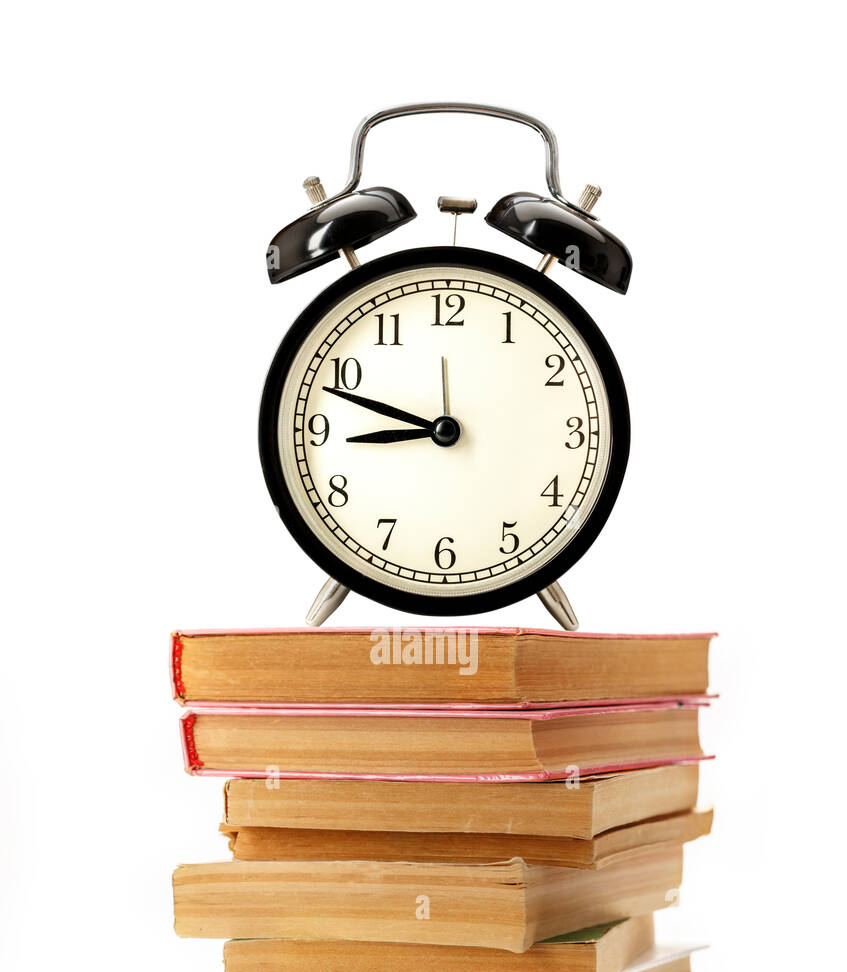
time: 8:48
